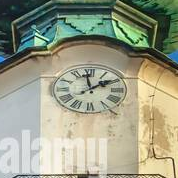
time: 1:58
